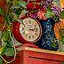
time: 3:13
